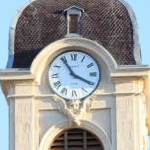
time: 3:54
